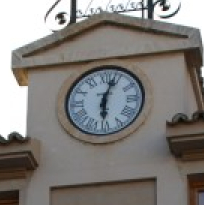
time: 6:03
